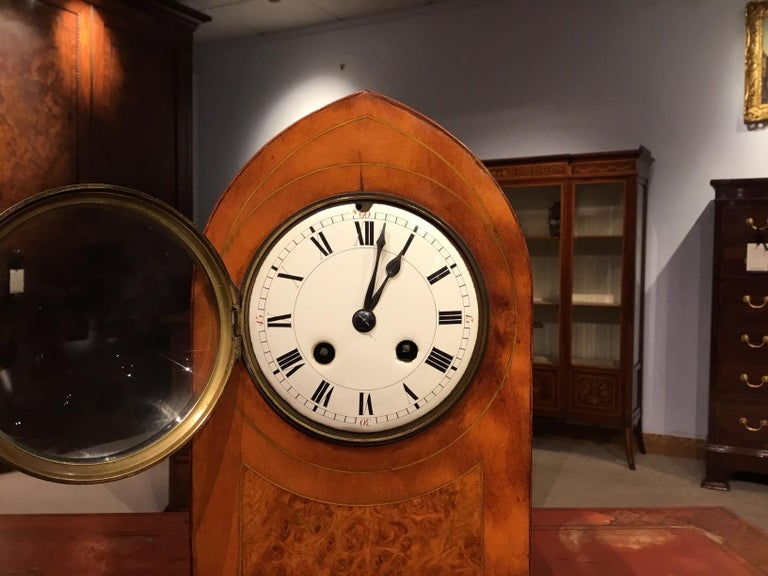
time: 1:02
